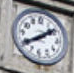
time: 1:39
